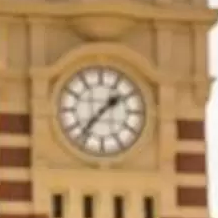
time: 1:36
